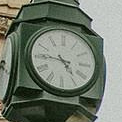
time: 4:45
